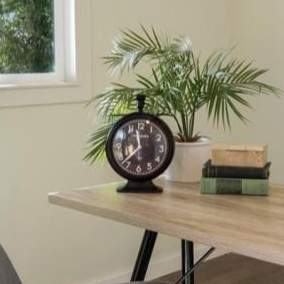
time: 11:37
